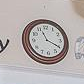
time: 11:20
